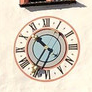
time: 10:35
